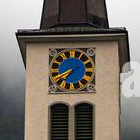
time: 7:40
